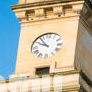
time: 9:53
